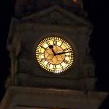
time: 11:12
